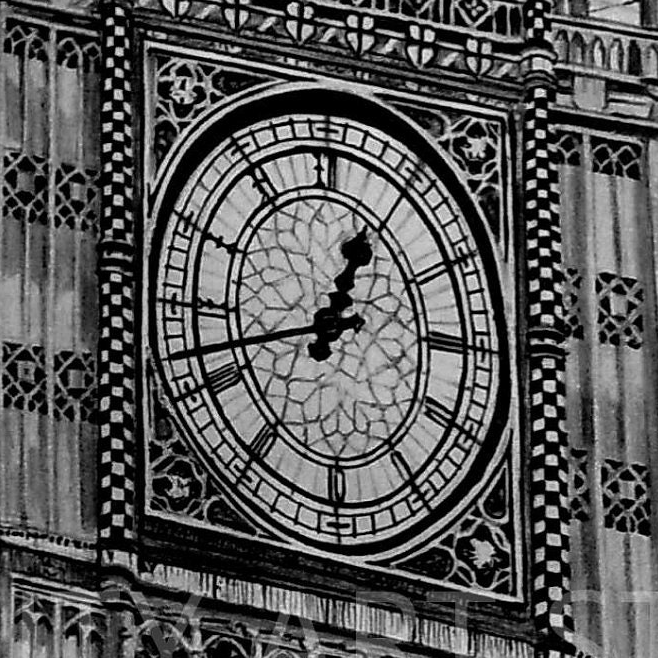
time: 12:42
